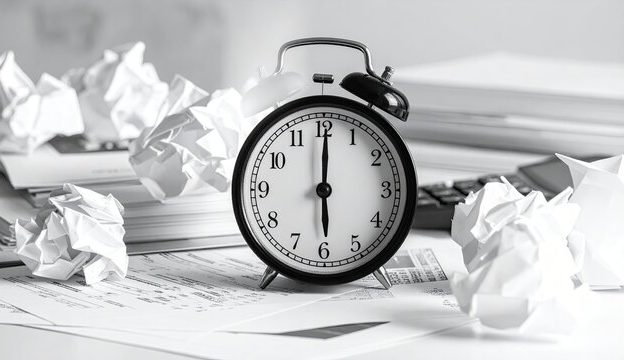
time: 6:00
